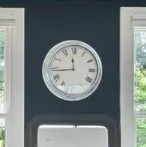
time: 11:43
